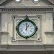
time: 1:00
